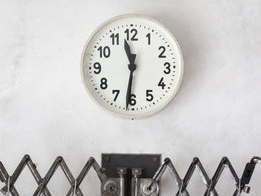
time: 11:31
